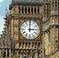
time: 3:00
